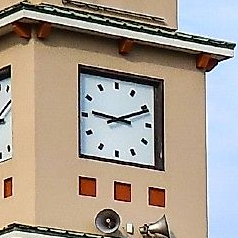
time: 9:11
